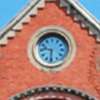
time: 9:31
